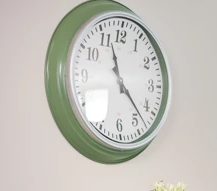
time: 11:22
